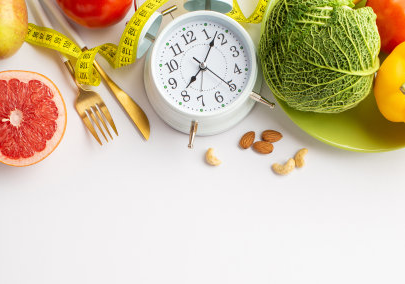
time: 8:08
